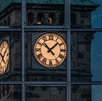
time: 10:07
